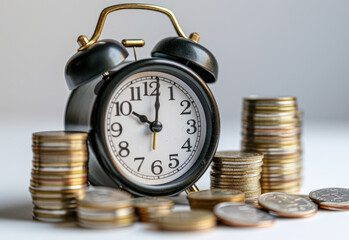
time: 10:01
